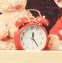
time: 12:24
